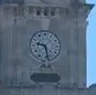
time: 9:28
